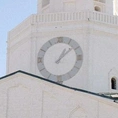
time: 1:08
